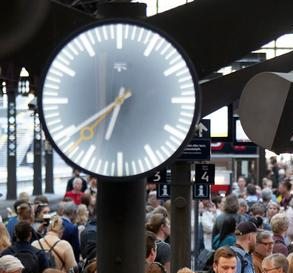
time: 6:38
